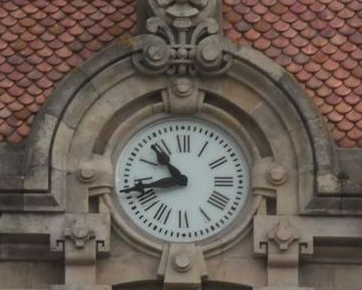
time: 10:42
